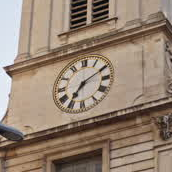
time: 7:09
